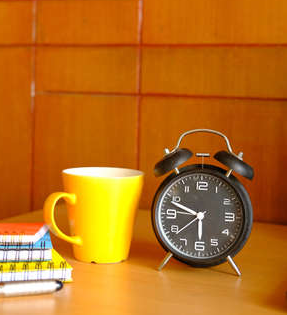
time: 5:48
